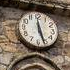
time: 5:26
